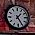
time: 1:24
